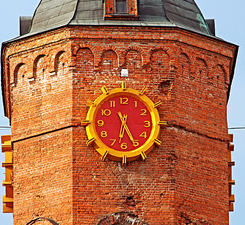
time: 6:25
